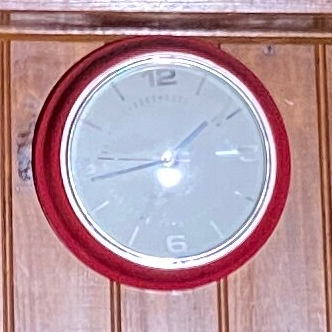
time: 1:44
